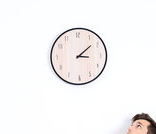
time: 3:08
